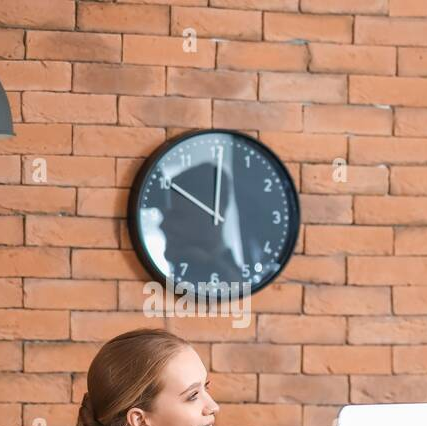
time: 10:00
